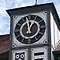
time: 12:58
